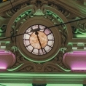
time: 11:26
